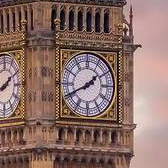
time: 1:41
